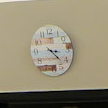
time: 3:22
